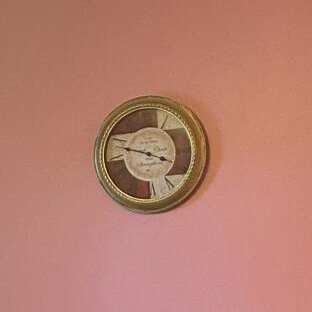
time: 3:47
